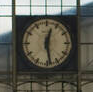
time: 12:28
